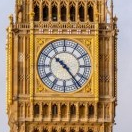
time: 10:23
